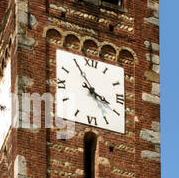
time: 3:54
